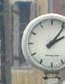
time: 2:06
